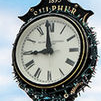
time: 8:58
